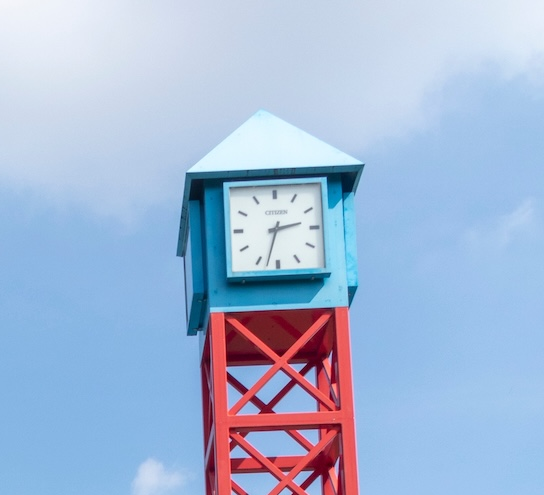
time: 2:32
